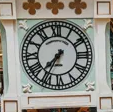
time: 7:35
